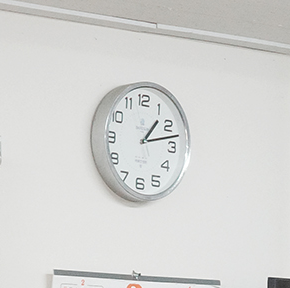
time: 1:12
